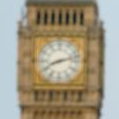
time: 8:12
